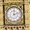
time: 12:12
